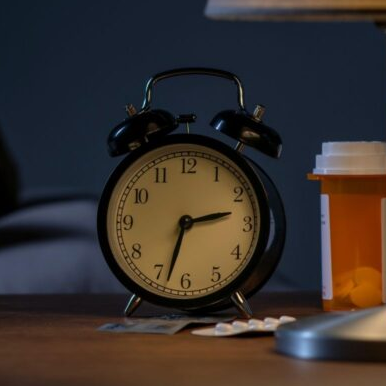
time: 2:33
